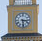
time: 3:28
